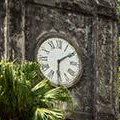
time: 6:09
